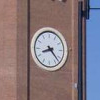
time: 8:22
